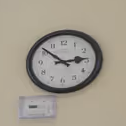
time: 2:51
